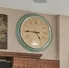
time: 4:45
